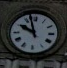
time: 9:57
